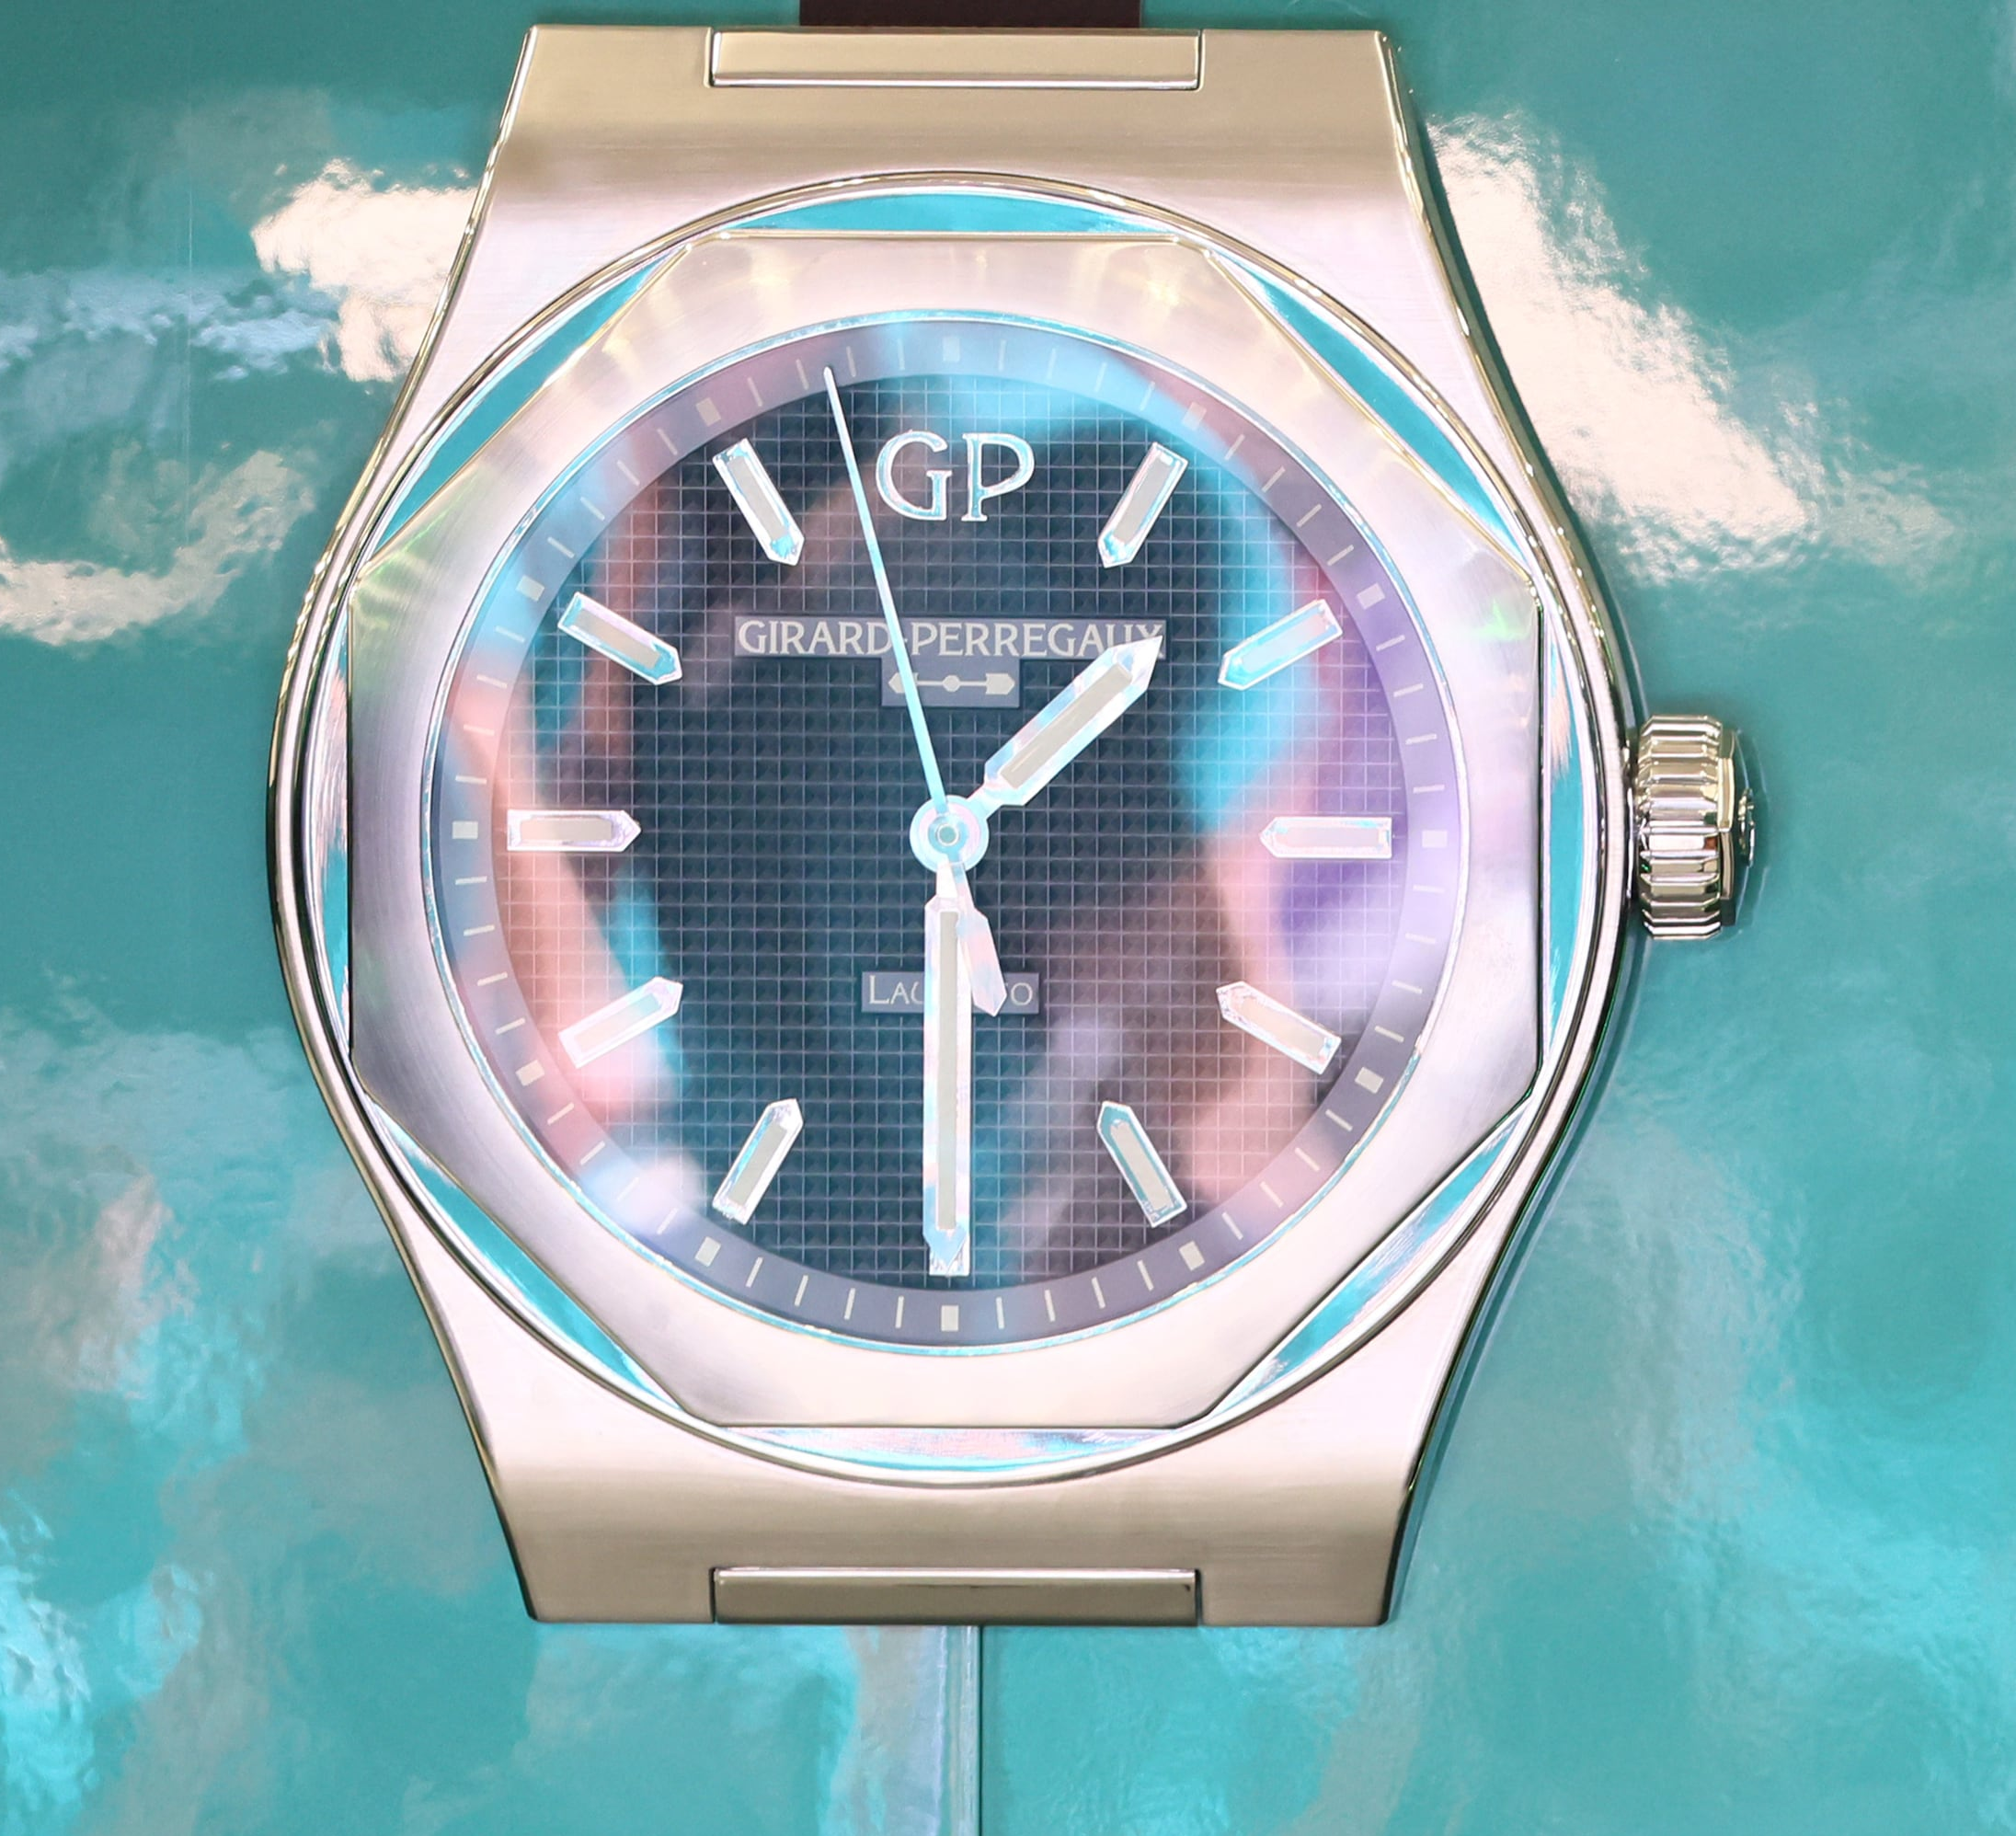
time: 1:29
